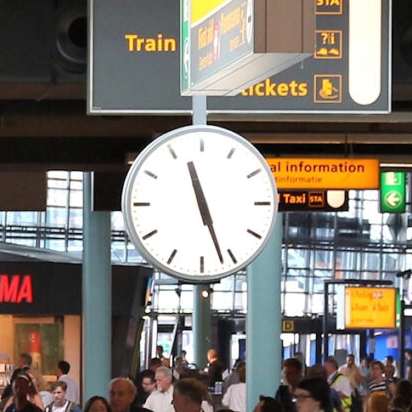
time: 11:26
